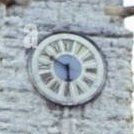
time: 5:49
